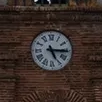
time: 5:15
